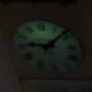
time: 9:08
